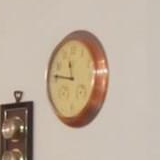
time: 11:46
